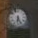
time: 6:25
